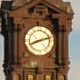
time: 8:12
